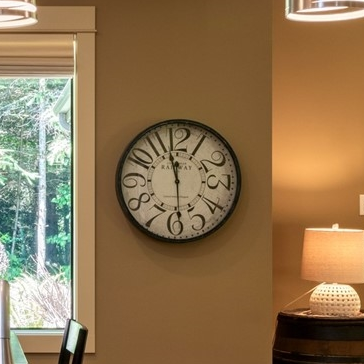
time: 11:29
